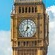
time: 7:00
